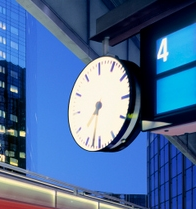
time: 7:32
